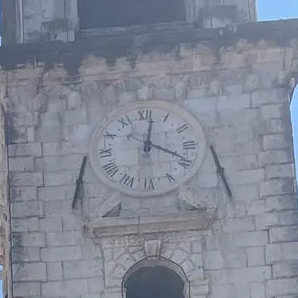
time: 12:19
